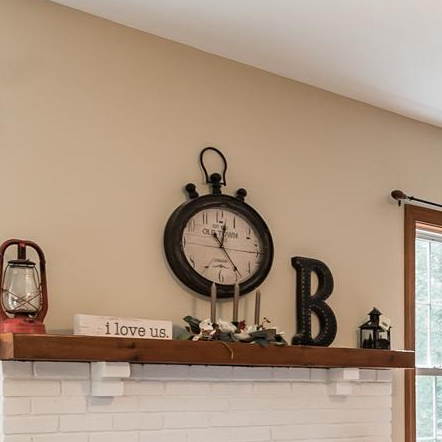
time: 12:24
